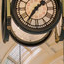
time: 1:36
